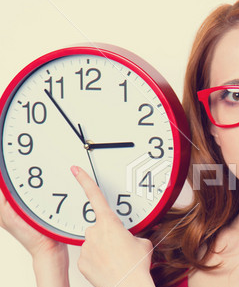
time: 2:53
